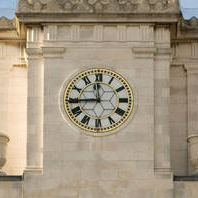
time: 11:44
